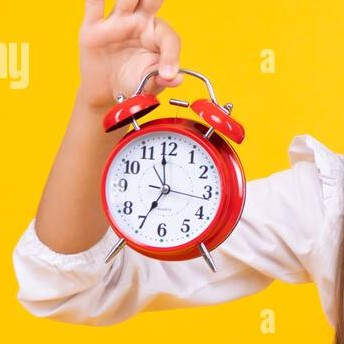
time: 6:58
